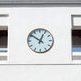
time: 12:51
